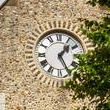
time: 1:25
